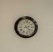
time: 4:12
